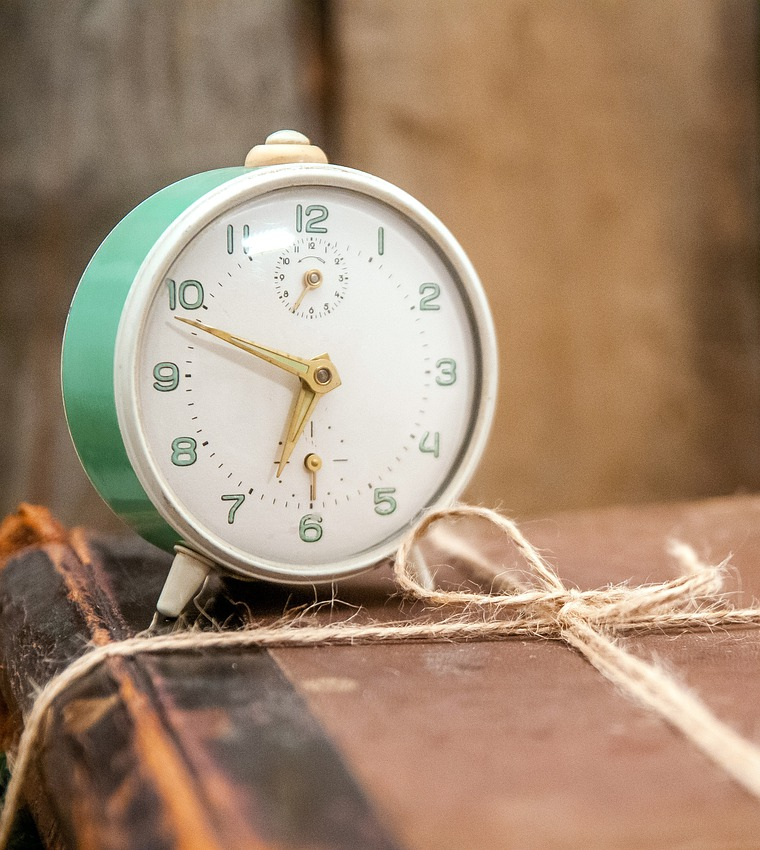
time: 6:48
